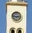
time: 2:46
